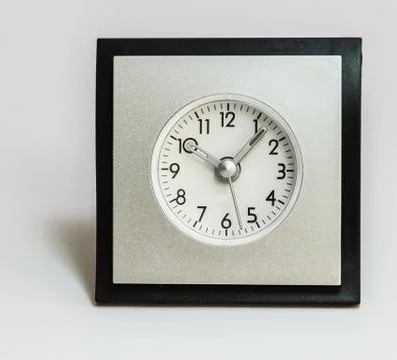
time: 10:07
